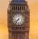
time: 7:37
